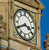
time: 3:40
